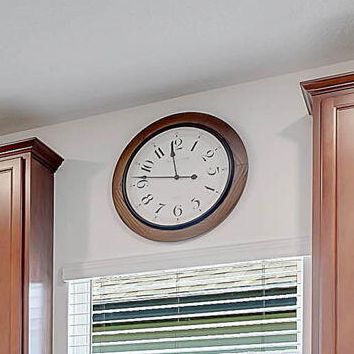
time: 11:46
